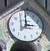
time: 2:59
